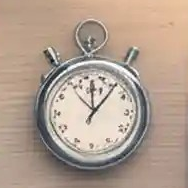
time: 12:06
